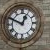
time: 12:49
